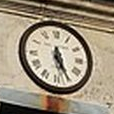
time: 11:25
